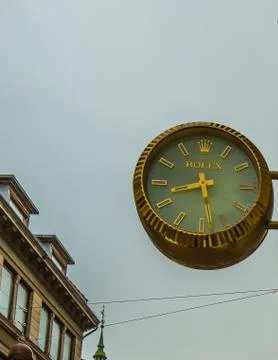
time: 8:28
